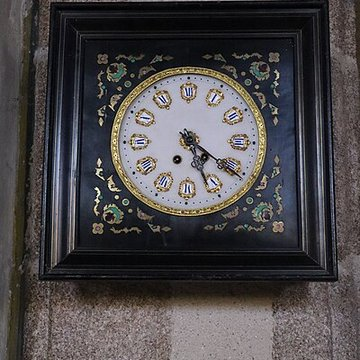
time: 5:20
